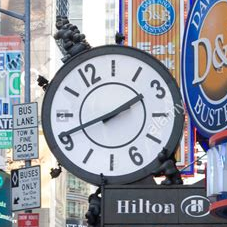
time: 1:41
